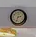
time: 2:33
